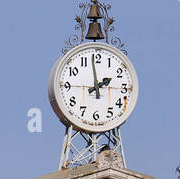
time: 1:58
